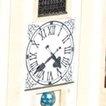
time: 4:38
